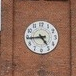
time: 4:44
